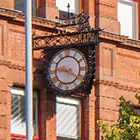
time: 9:20
